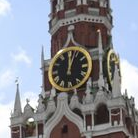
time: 12:03
